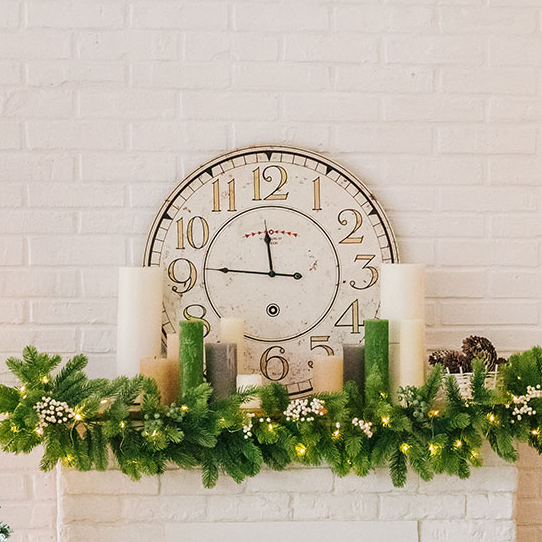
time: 11:46
